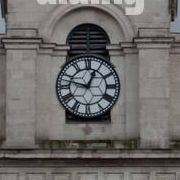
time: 12:47
